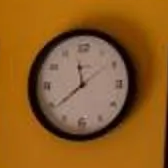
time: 11:38
